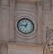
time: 12:46
